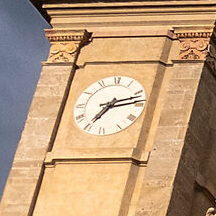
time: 7:12
